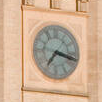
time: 7:17
